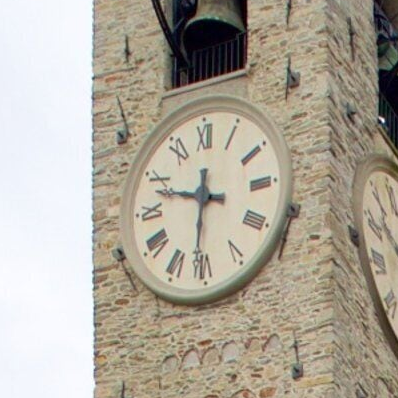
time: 9:31
